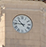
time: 10:46
